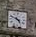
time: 4:49
